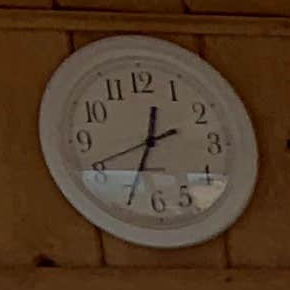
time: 12:34
